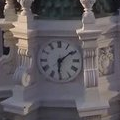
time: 6:08
